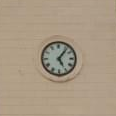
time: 5:06
